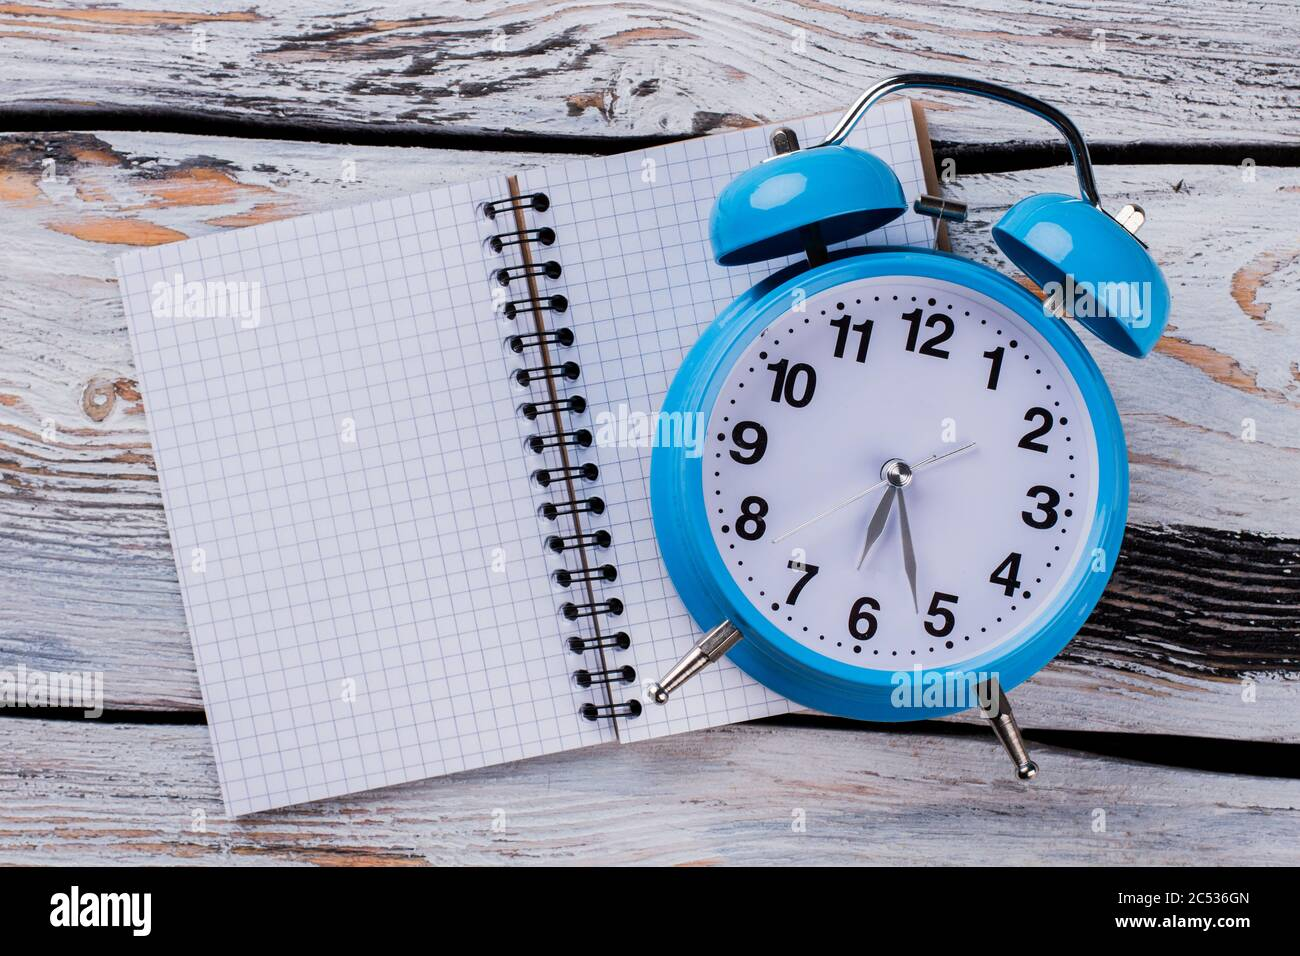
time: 6:26
